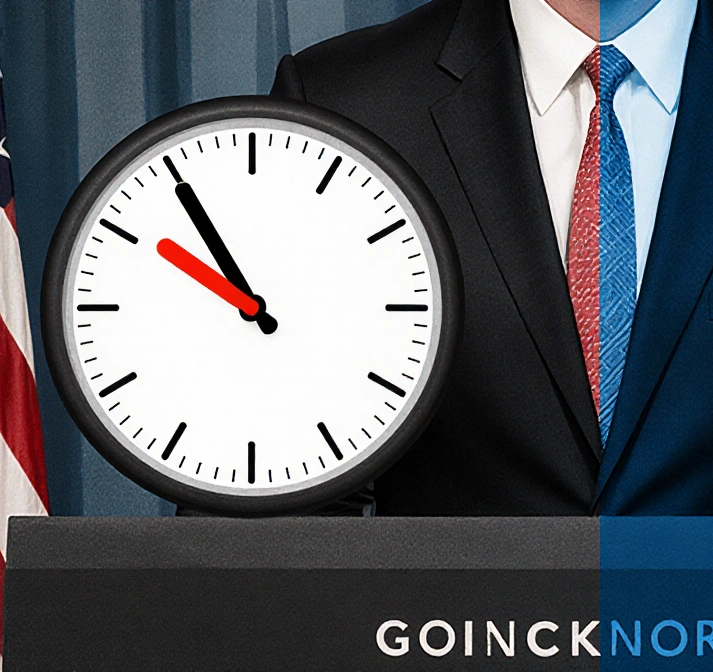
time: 9:54
